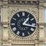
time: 1:16
